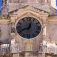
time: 12:41
